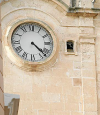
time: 4:22
